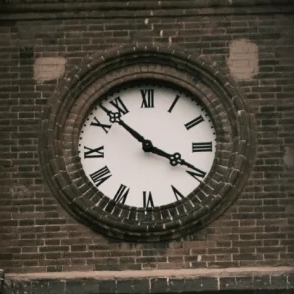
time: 3:52
